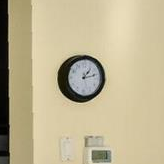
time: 1:12
